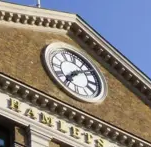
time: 7:08
